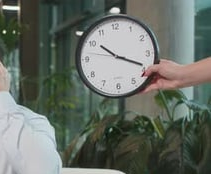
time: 10:18
